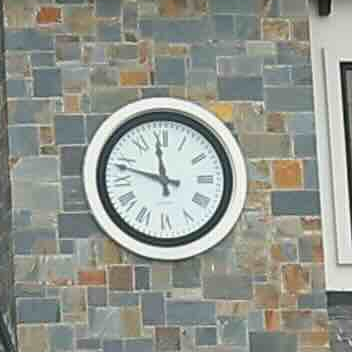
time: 11:47
